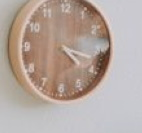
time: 4:17
